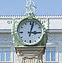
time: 3:02
